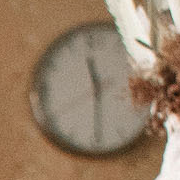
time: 11:29
